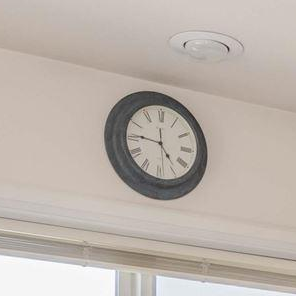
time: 4:46
